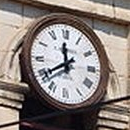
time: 11:39
